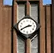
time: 2:40
